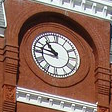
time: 10:47
